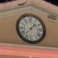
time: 1:37
